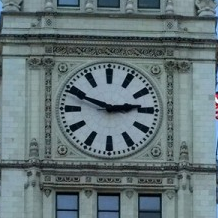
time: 2:48
